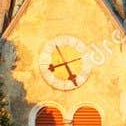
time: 8:25
